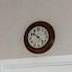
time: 10:22
